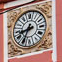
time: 8:34
